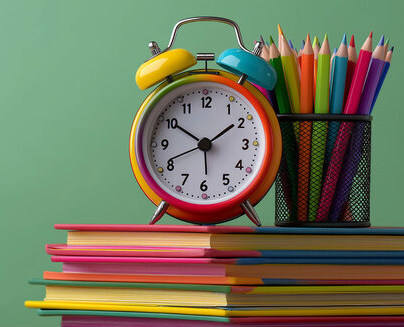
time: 1:50
